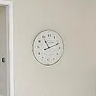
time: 11:11
